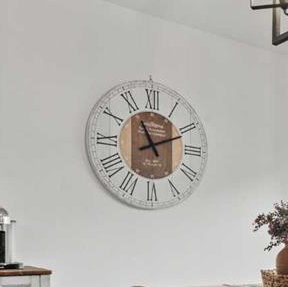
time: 11:11
